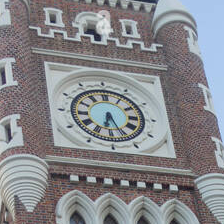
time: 6:25
